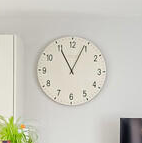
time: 11:04
